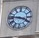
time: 3:46
